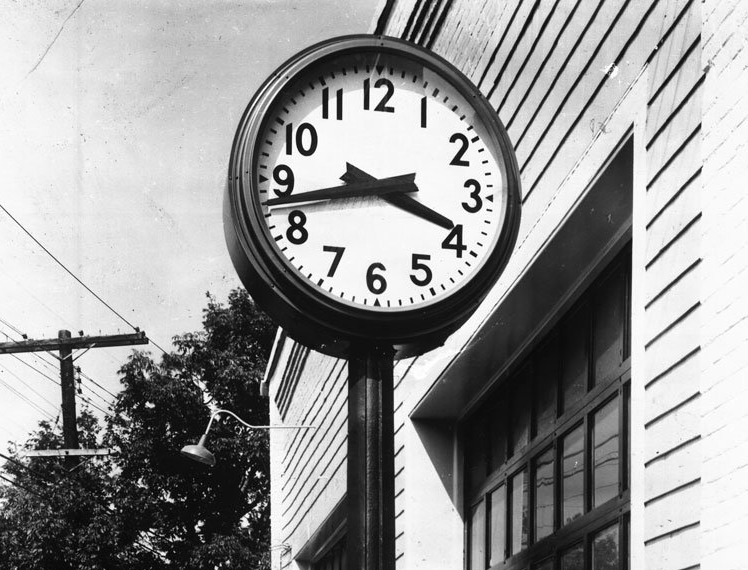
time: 3:42
